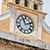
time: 11:11
